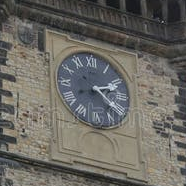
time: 2:21
